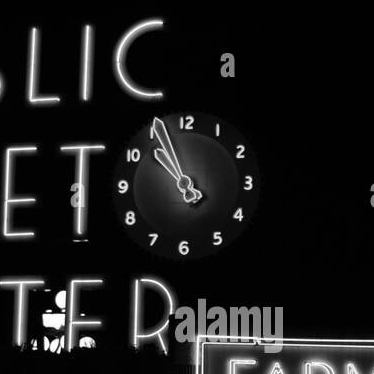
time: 10:56
